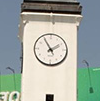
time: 1:54
